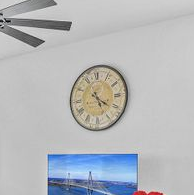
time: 5:21
